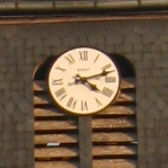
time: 4:12
